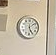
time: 5:08
